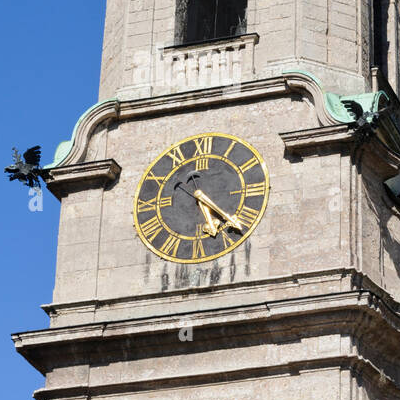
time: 5:22
